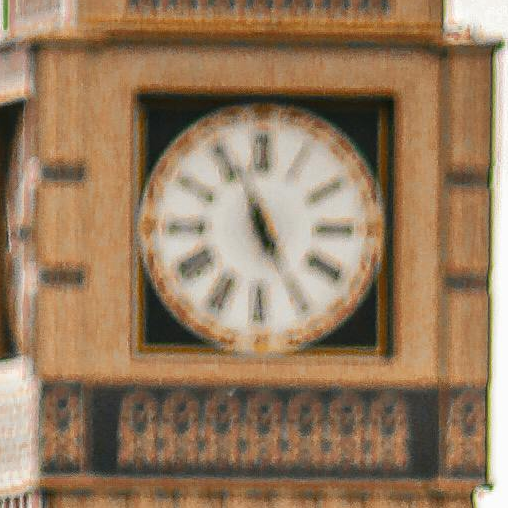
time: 4:56
